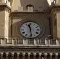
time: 11:28
